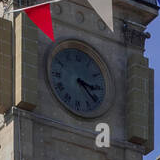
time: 3:21
